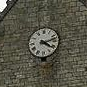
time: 4:12
